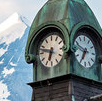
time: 6:47
